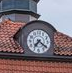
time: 7:21
